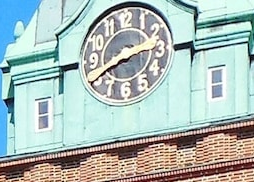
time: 2:40
